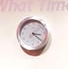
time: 3:21
